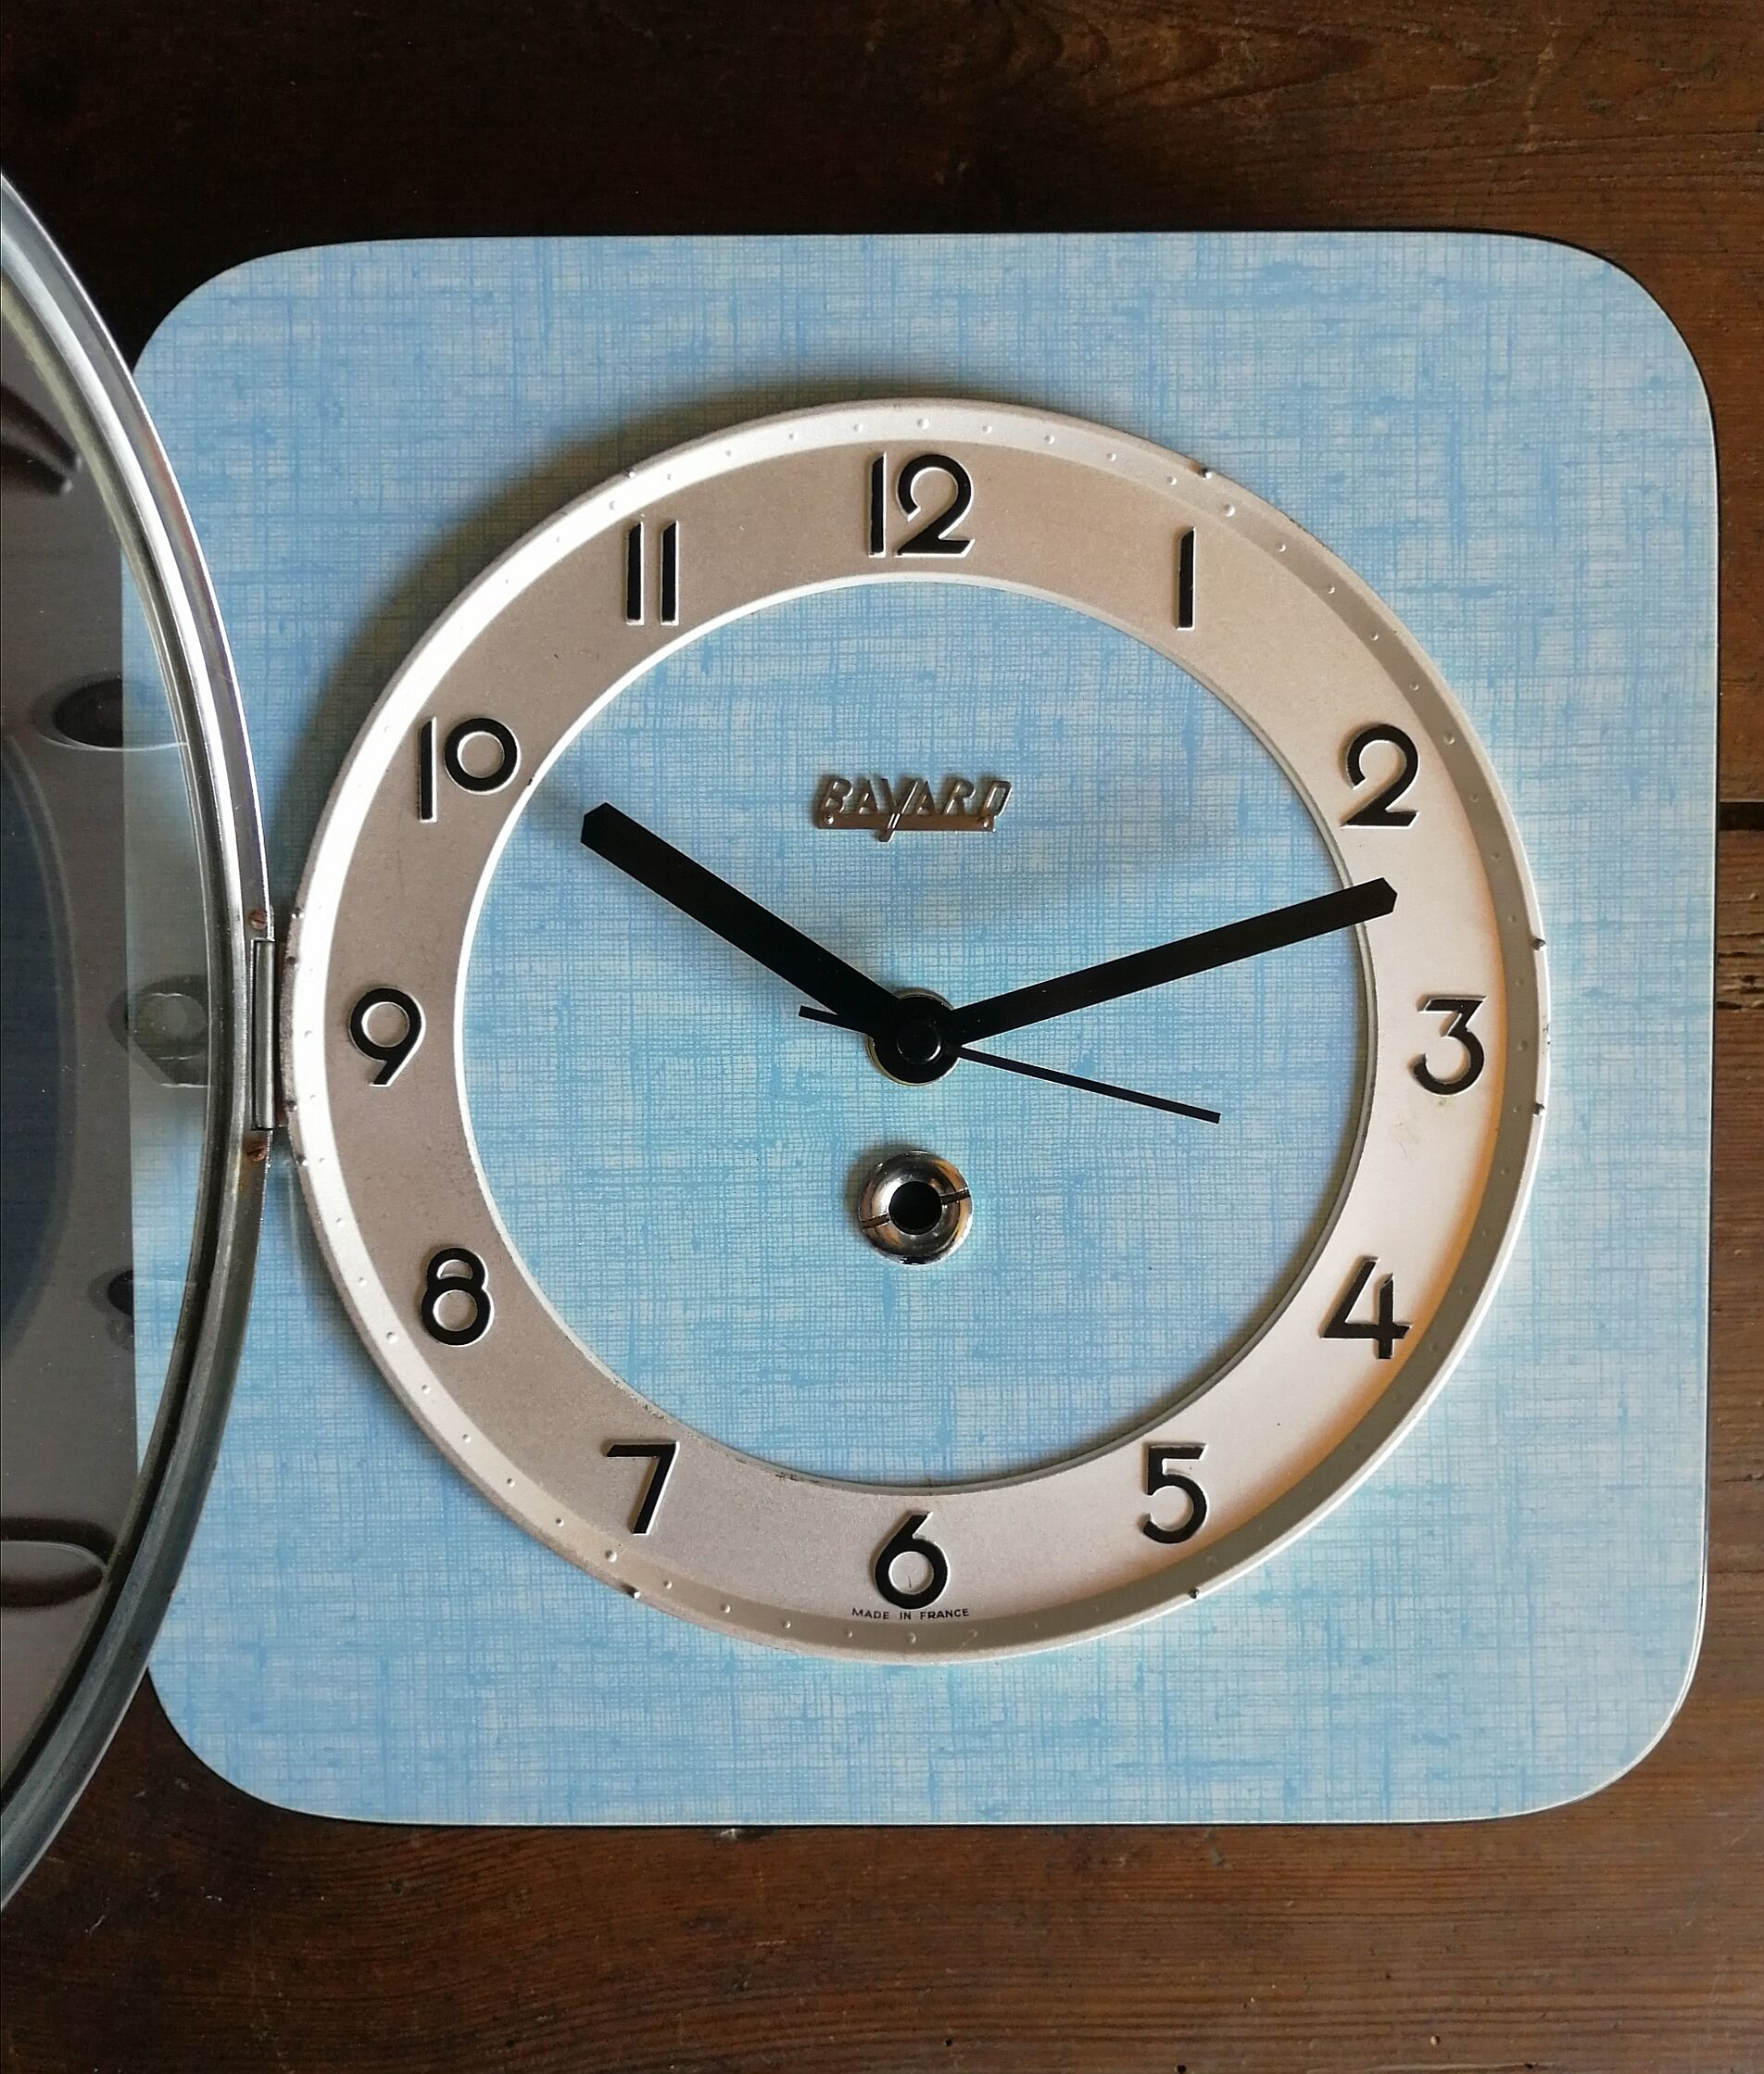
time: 10:12
